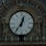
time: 12:36
